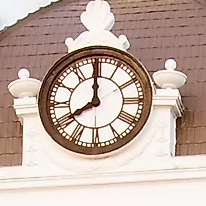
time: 7:59
